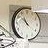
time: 10:51
